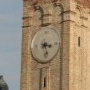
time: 3:27
